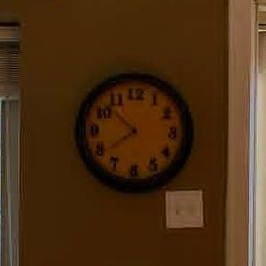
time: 7:52
